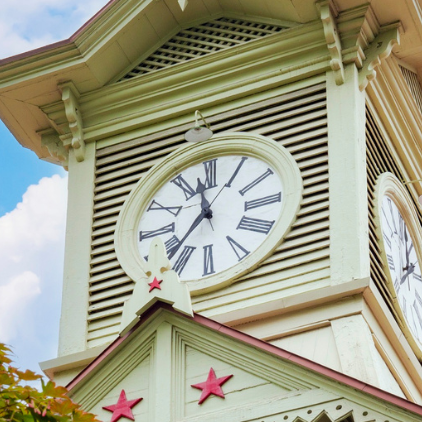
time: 11:36
